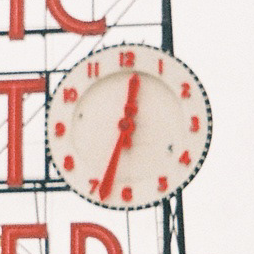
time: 12:33
